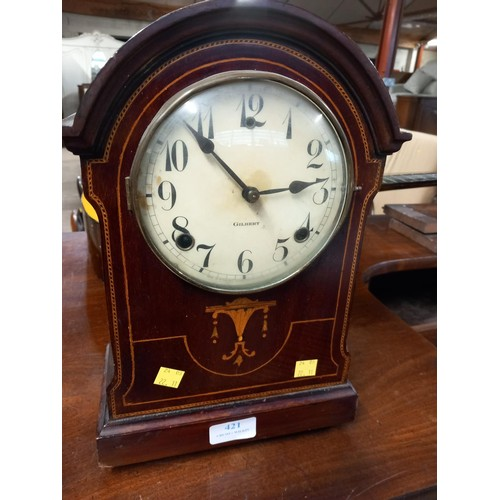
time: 2:53
